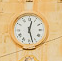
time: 12:27
